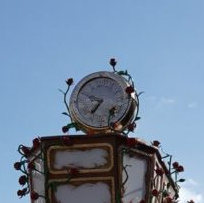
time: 6:49
